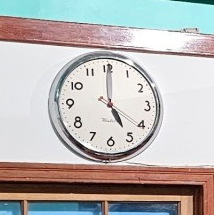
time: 5:00
